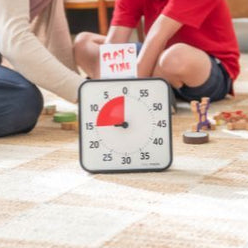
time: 9:00
